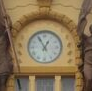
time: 12:55
